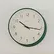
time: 10:16
